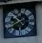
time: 10:40
